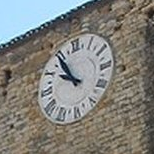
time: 9:54
